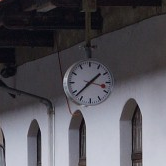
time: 1:37
